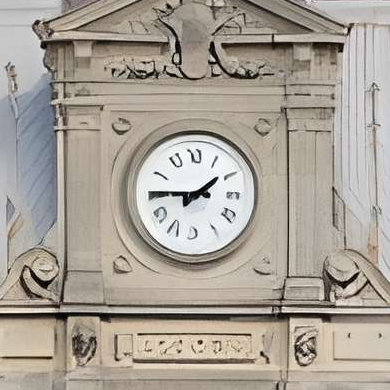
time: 1:45
